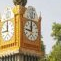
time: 11:46
